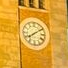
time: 8:09
